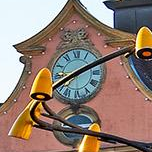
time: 8:11
